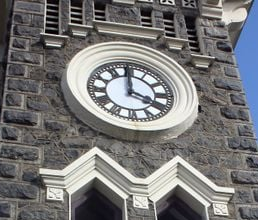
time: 4:00
